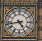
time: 4:43
